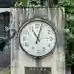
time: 11:03
